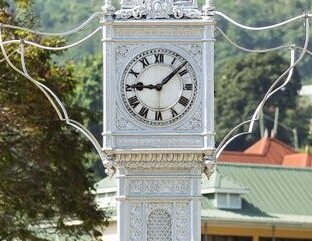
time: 9:08
